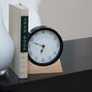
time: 6:48
